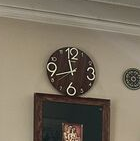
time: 11:41
